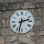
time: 2:32
